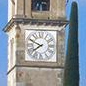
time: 7:49
